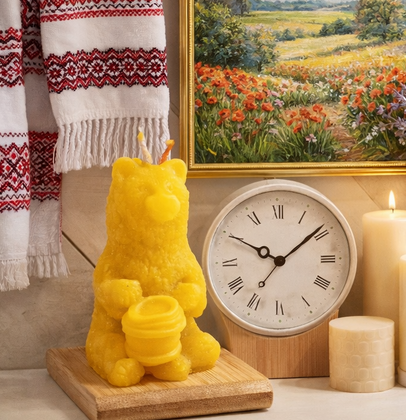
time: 10:08
